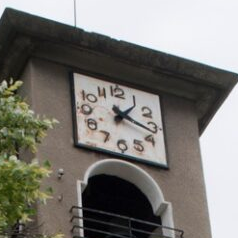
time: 1:17
